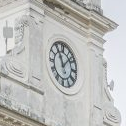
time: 11:07
